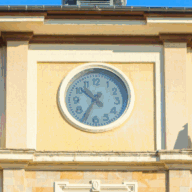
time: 10:34
